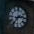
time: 2:36
